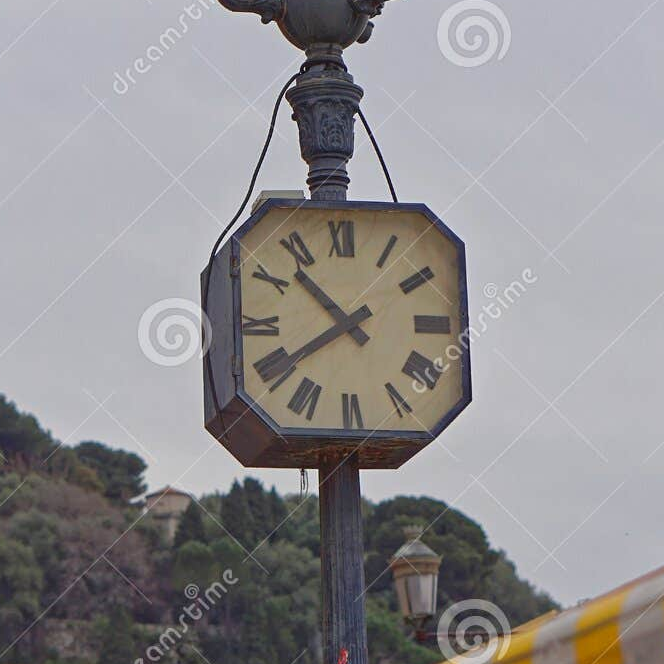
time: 10:39
